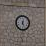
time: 12:26
